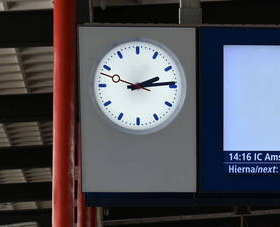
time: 2:14
